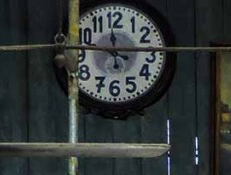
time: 11:46
